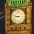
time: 8:47
